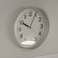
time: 10:04
